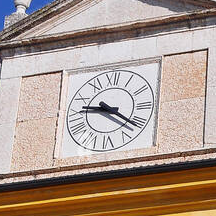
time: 9:21
